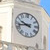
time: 9:42
